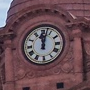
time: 12:02
